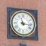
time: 11:16
